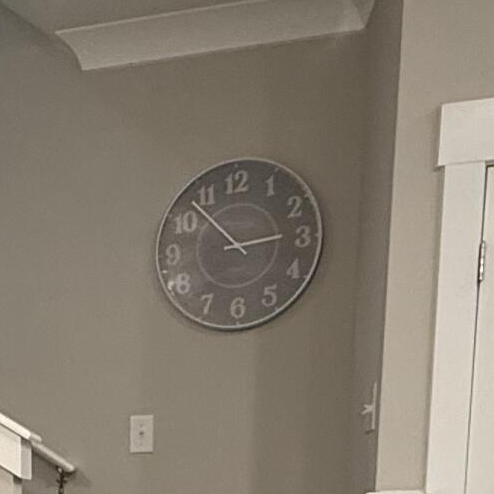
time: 2:53
